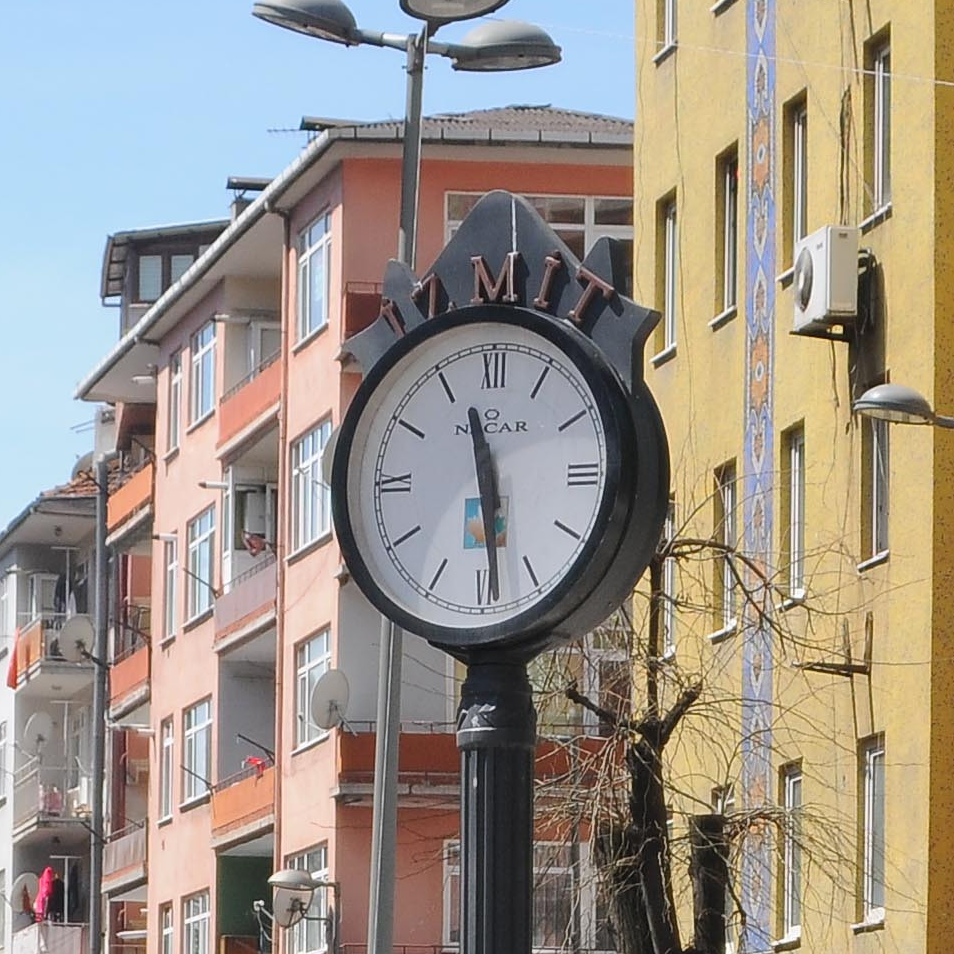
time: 11:28
